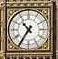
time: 10:36
